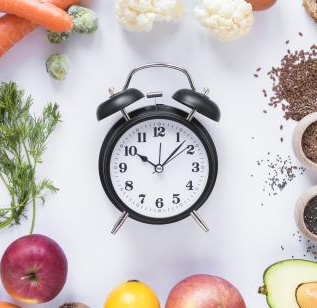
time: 10:07
